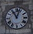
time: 11:03
